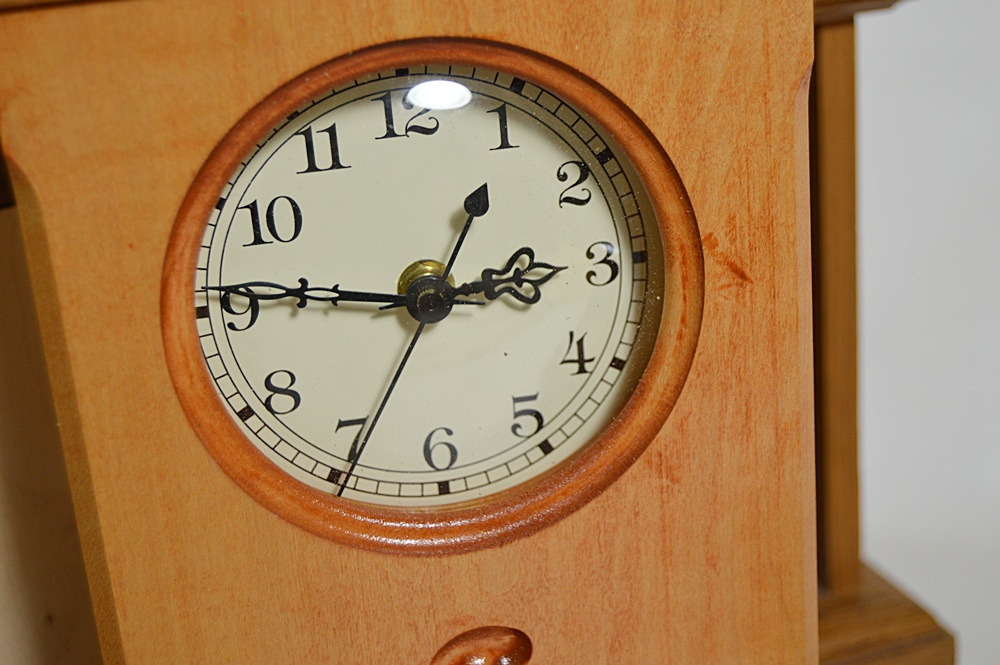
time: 2:46
